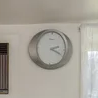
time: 2:19
